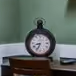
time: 8:33
